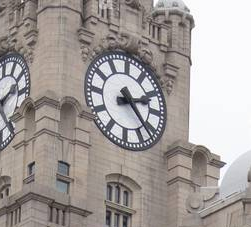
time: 2:23
